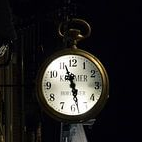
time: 11:28
